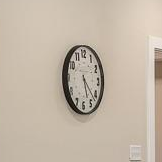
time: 5:21
